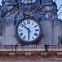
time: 5:51
